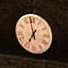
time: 6:58
